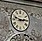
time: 2:48
